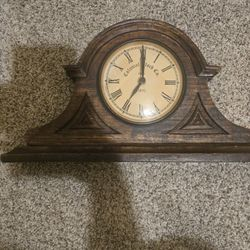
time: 7:00
